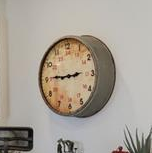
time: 2:45
